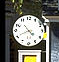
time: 4:40
